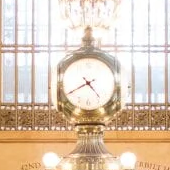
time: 4:40
